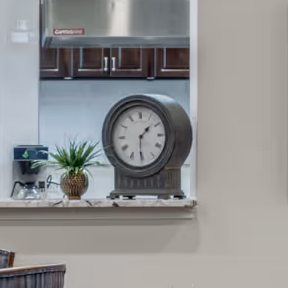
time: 1:30
